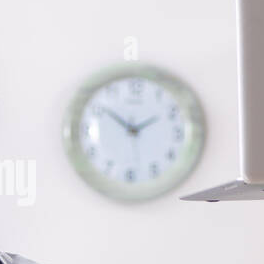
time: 1:51
